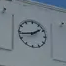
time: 1:43
